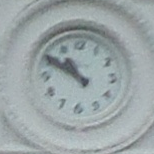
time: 10:50
